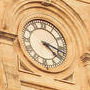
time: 4:17
